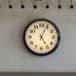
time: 5:04
